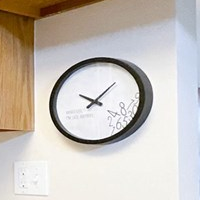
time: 10:07
